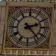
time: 2:23
